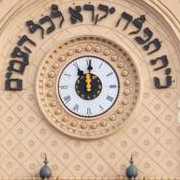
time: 11:00
